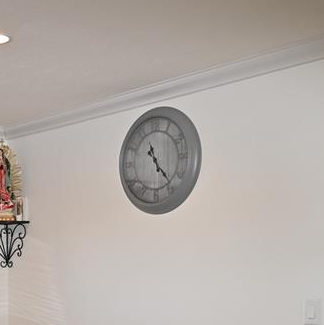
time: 11:23
